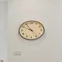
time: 9:54
